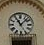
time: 11:07
